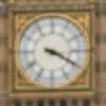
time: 3:19
